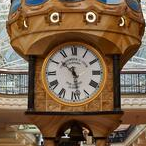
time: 10:28
